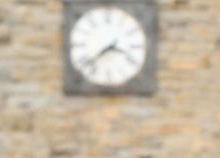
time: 3:38
